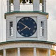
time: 7:50
